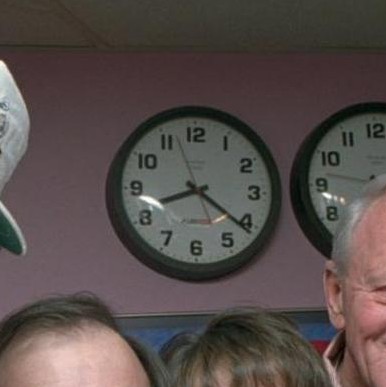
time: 8:21
